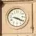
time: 9:20
